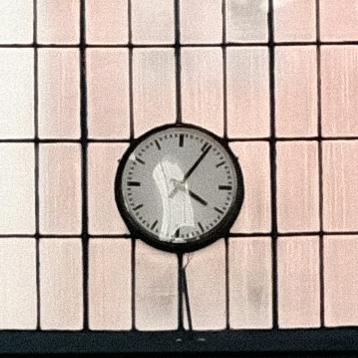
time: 4:06
